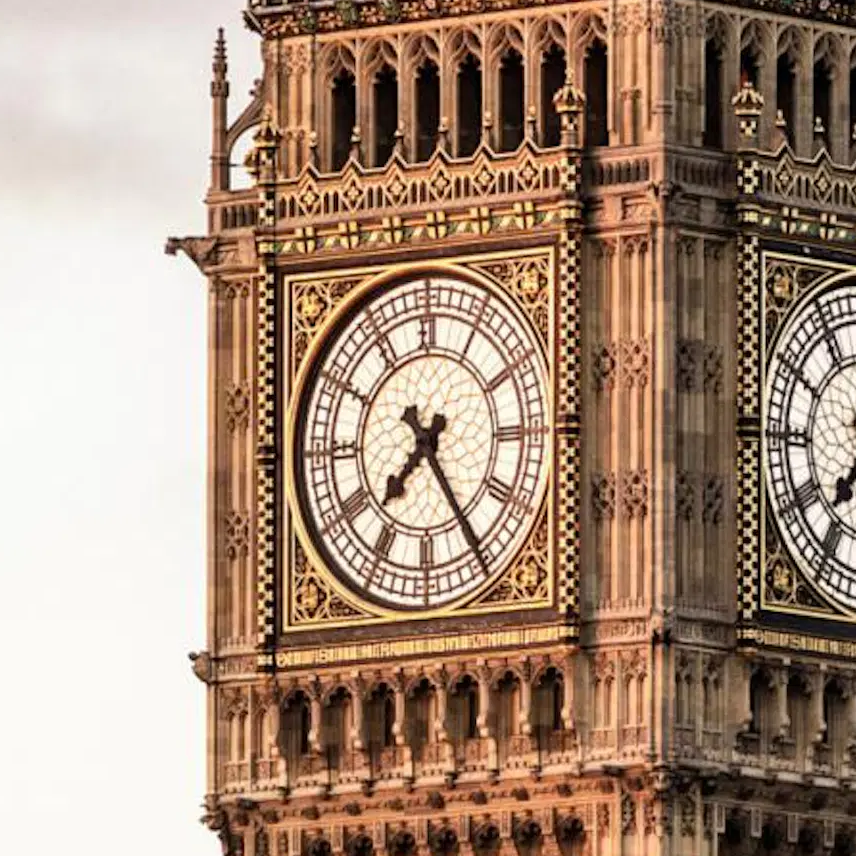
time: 7:24
